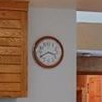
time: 3:40
